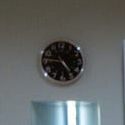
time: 4:46
